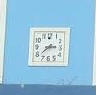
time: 2:38
